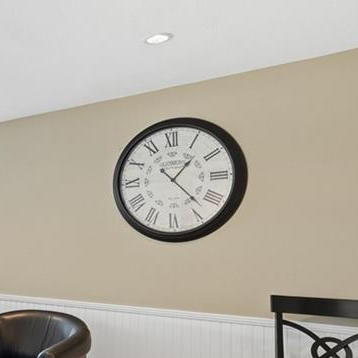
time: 1:22
